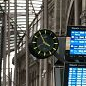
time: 3:54
